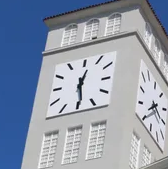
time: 12:28
